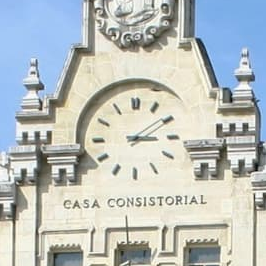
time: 3:09
